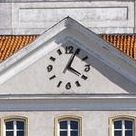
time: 4:04
